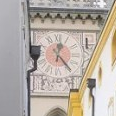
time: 12:23
